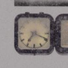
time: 7:18
